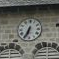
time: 6:34
